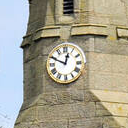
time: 12:49
